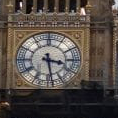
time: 3:28
